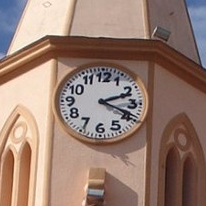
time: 2:18
